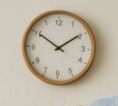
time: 1:50
